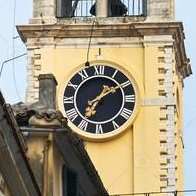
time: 7:09
